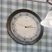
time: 2:13
